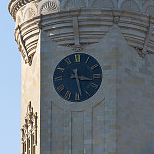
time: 3:28
